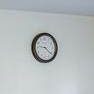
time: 9:21
